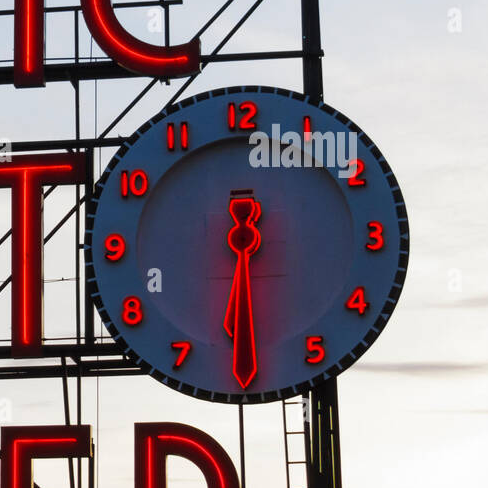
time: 6:29
